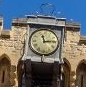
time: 11:13
